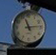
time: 11:13
